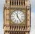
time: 11:24
